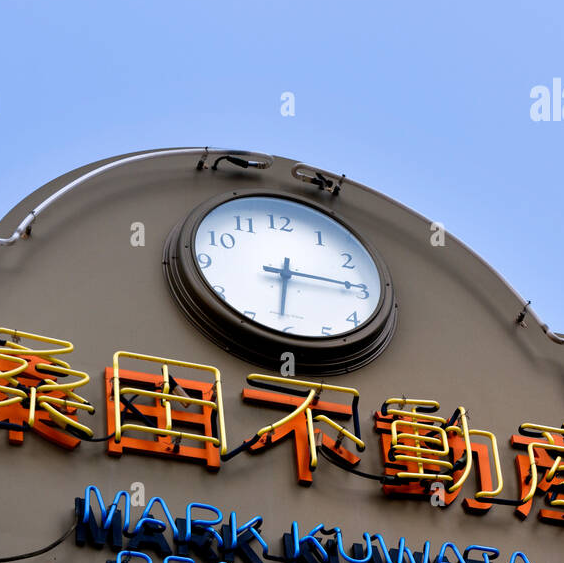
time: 6:14
